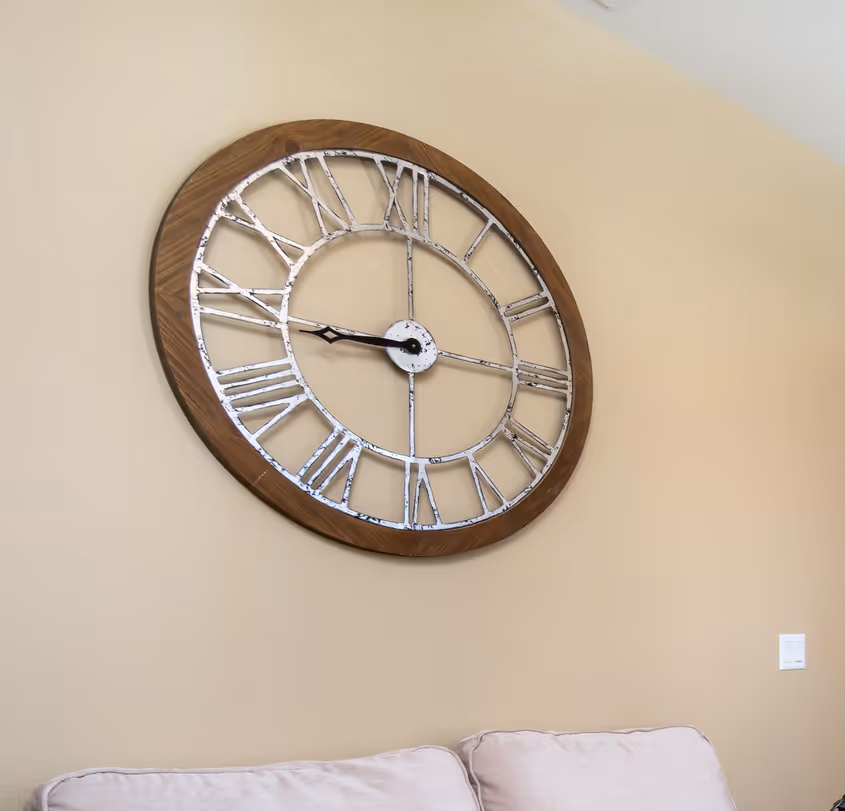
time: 8:44
